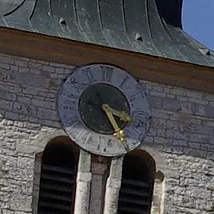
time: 3:24
